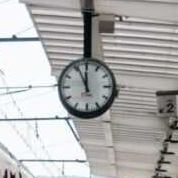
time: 11:55
